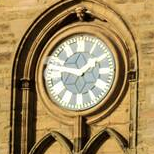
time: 1:46
